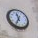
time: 11:34
